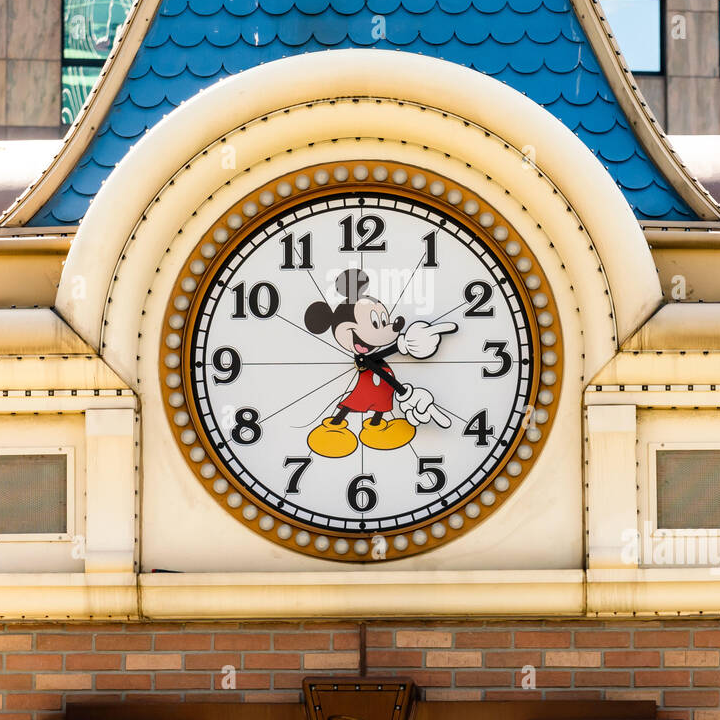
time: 4:35
